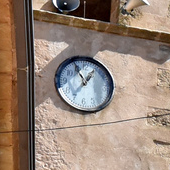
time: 12:55
